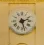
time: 2:27
